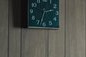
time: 2:33
